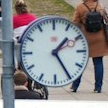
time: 1:24
